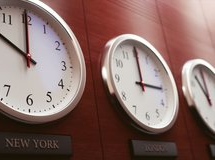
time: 3:00
